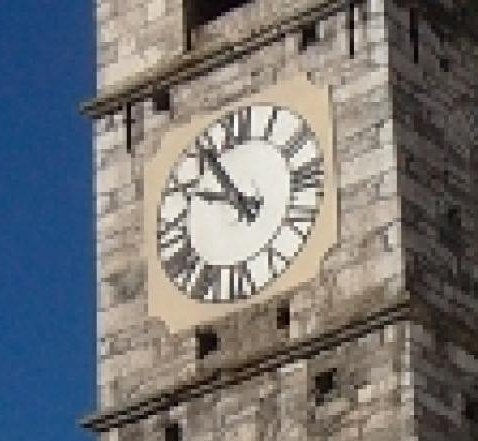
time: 9:54
